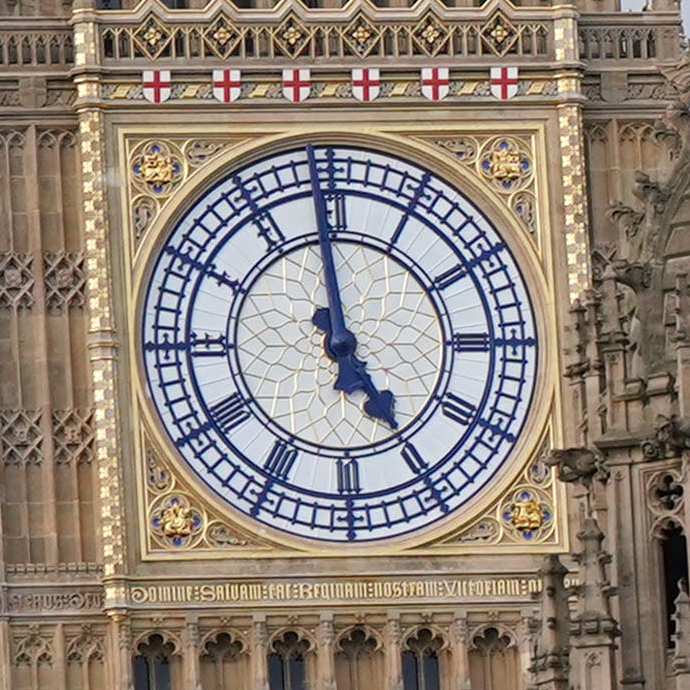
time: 4:58
